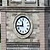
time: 11:44
